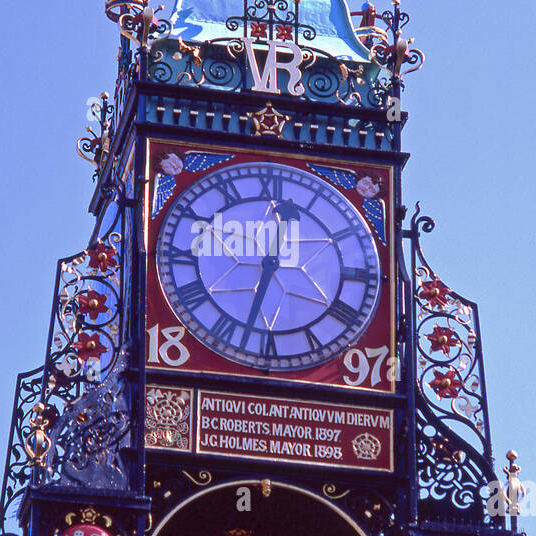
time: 12:32
